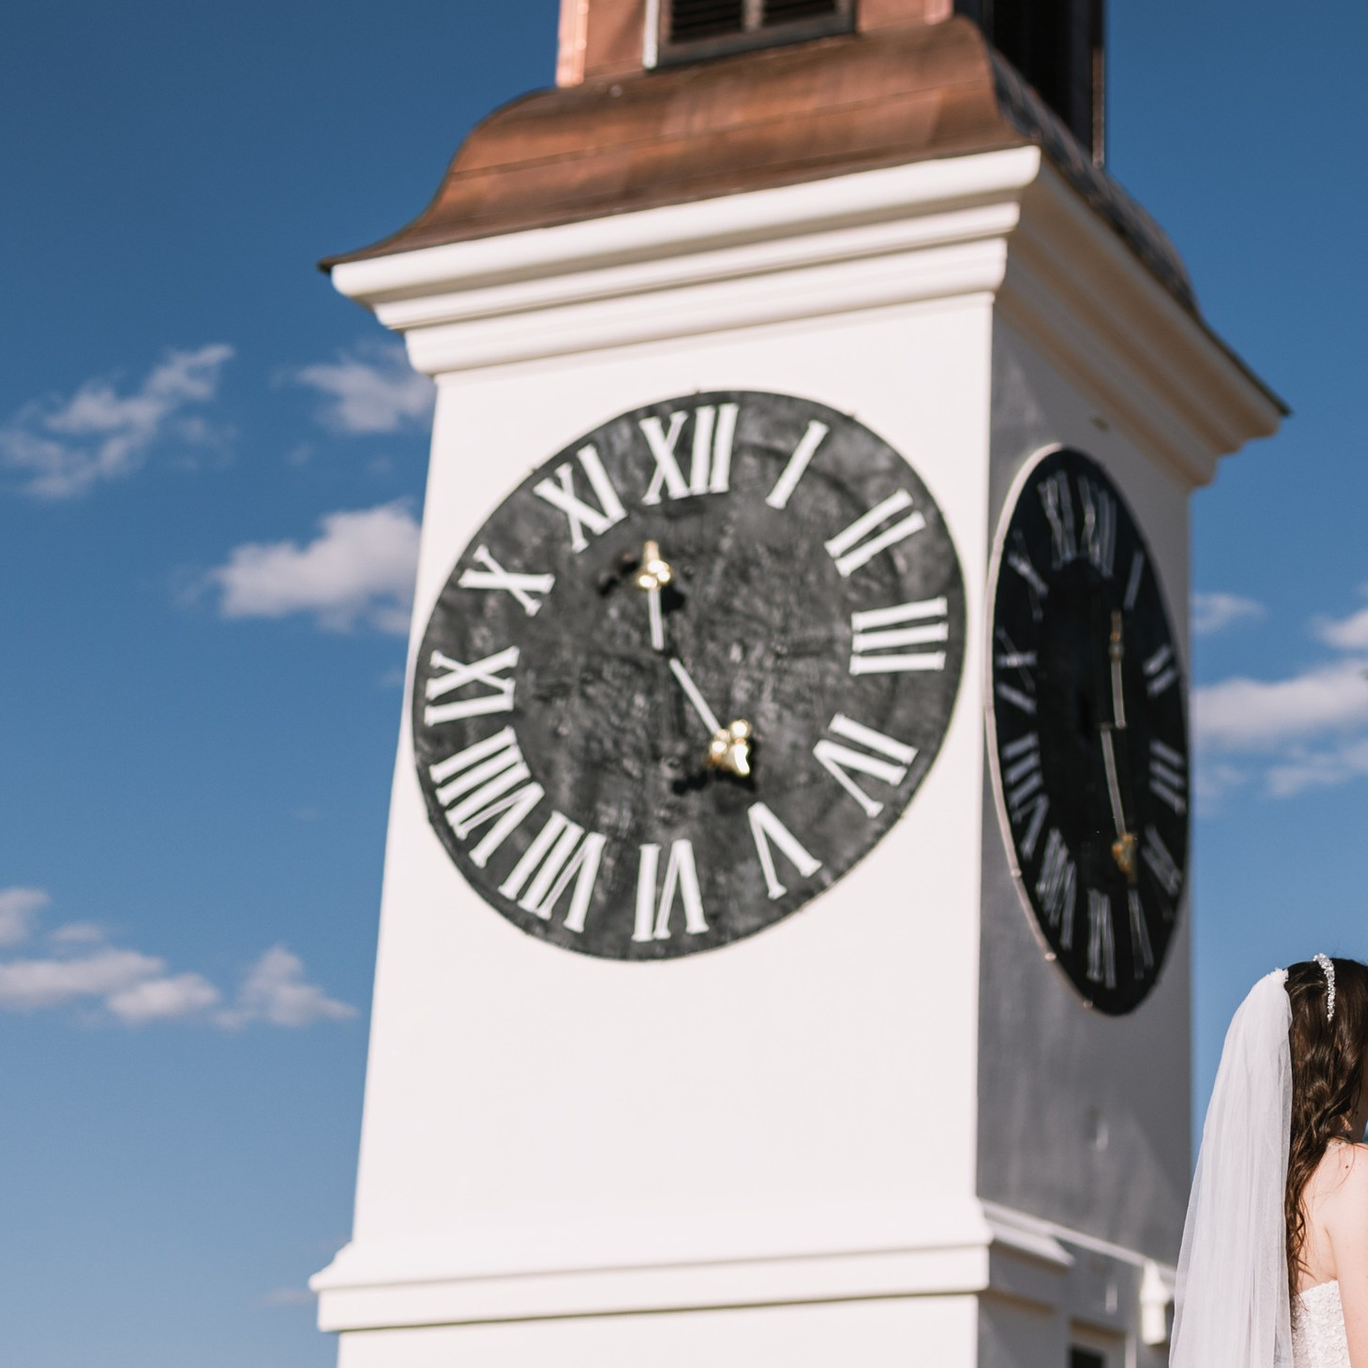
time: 11:24
